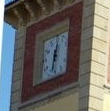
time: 12:32
